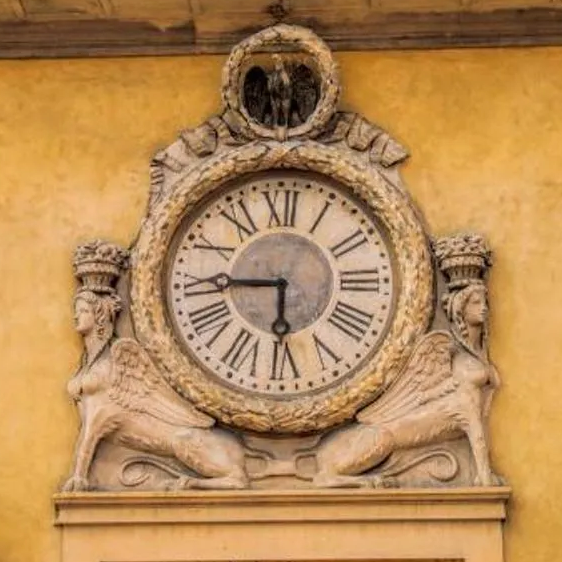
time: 5:45
